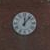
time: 12:07
